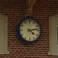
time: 4:12
